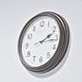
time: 2:16
